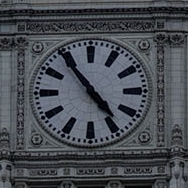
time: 4:54
